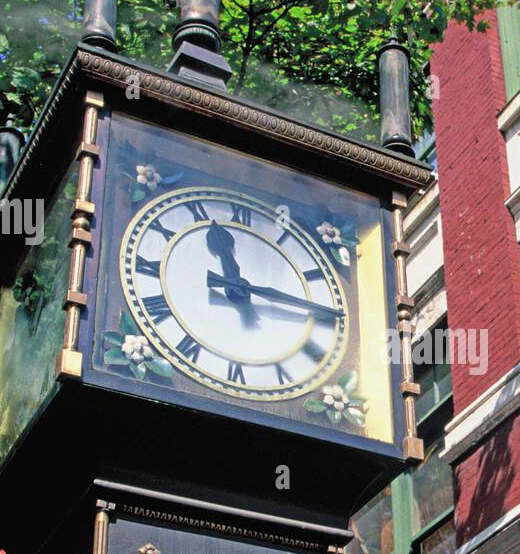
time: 11:15
